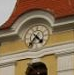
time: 4:35
